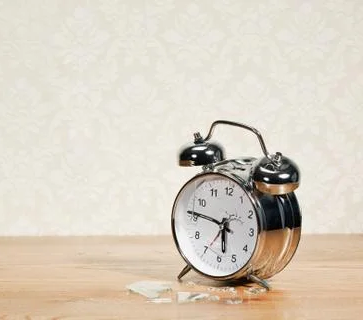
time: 5:46
